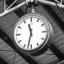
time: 11:32
